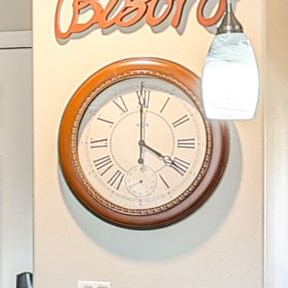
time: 3:59
